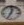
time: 12:34
